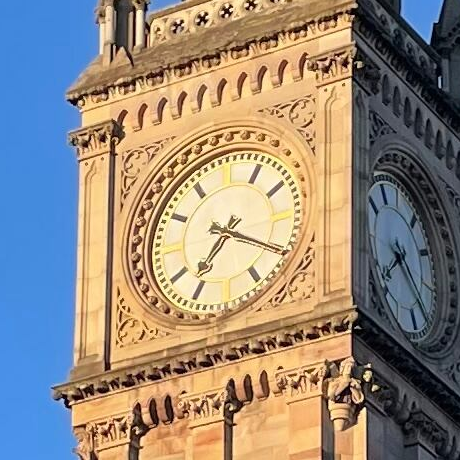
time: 7:19
